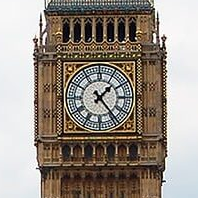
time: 1:23
